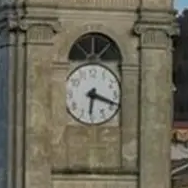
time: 6:18
